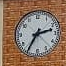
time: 2:35
